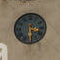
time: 3:29
